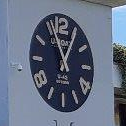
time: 12:56
